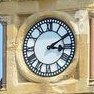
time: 3:09
